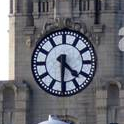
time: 4:30
